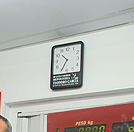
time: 10:35
